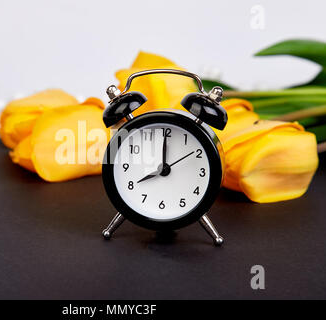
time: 8:00
